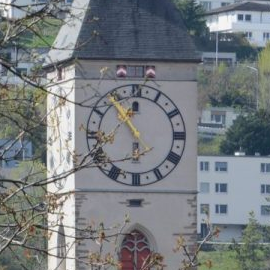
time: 5:54
